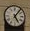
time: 5:06
